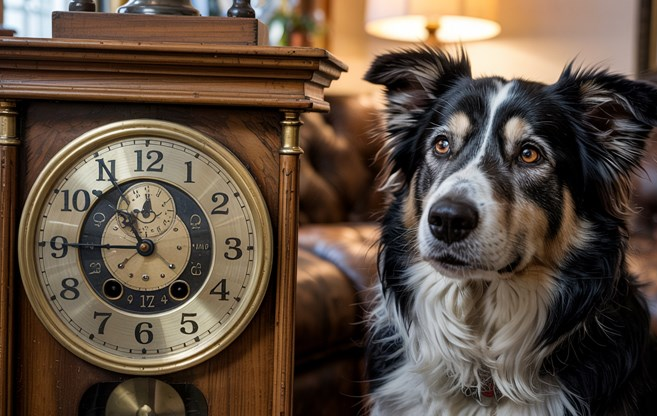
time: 10:45
